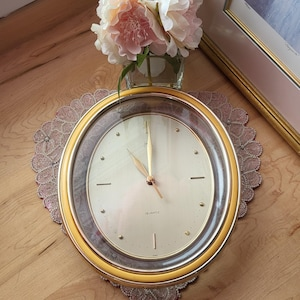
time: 11:00
